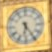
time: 6:24
